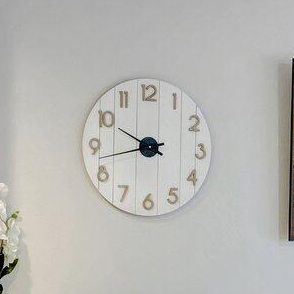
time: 9:42
